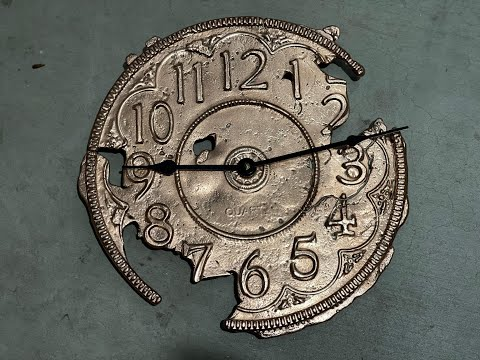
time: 9:12
